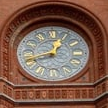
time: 12:41
